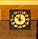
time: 11:51
